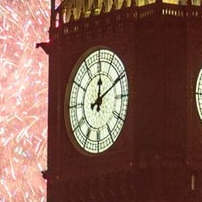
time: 12:10
